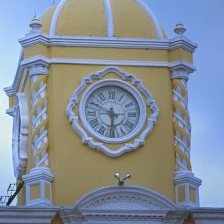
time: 5:49
